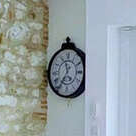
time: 11:35
